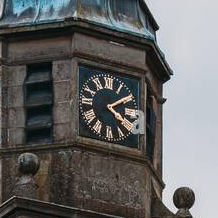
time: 4:09
